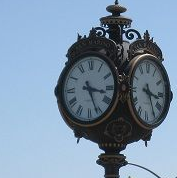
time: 3:26
